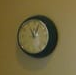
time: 11:04
